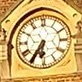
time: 6:35
